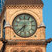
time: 6:37
